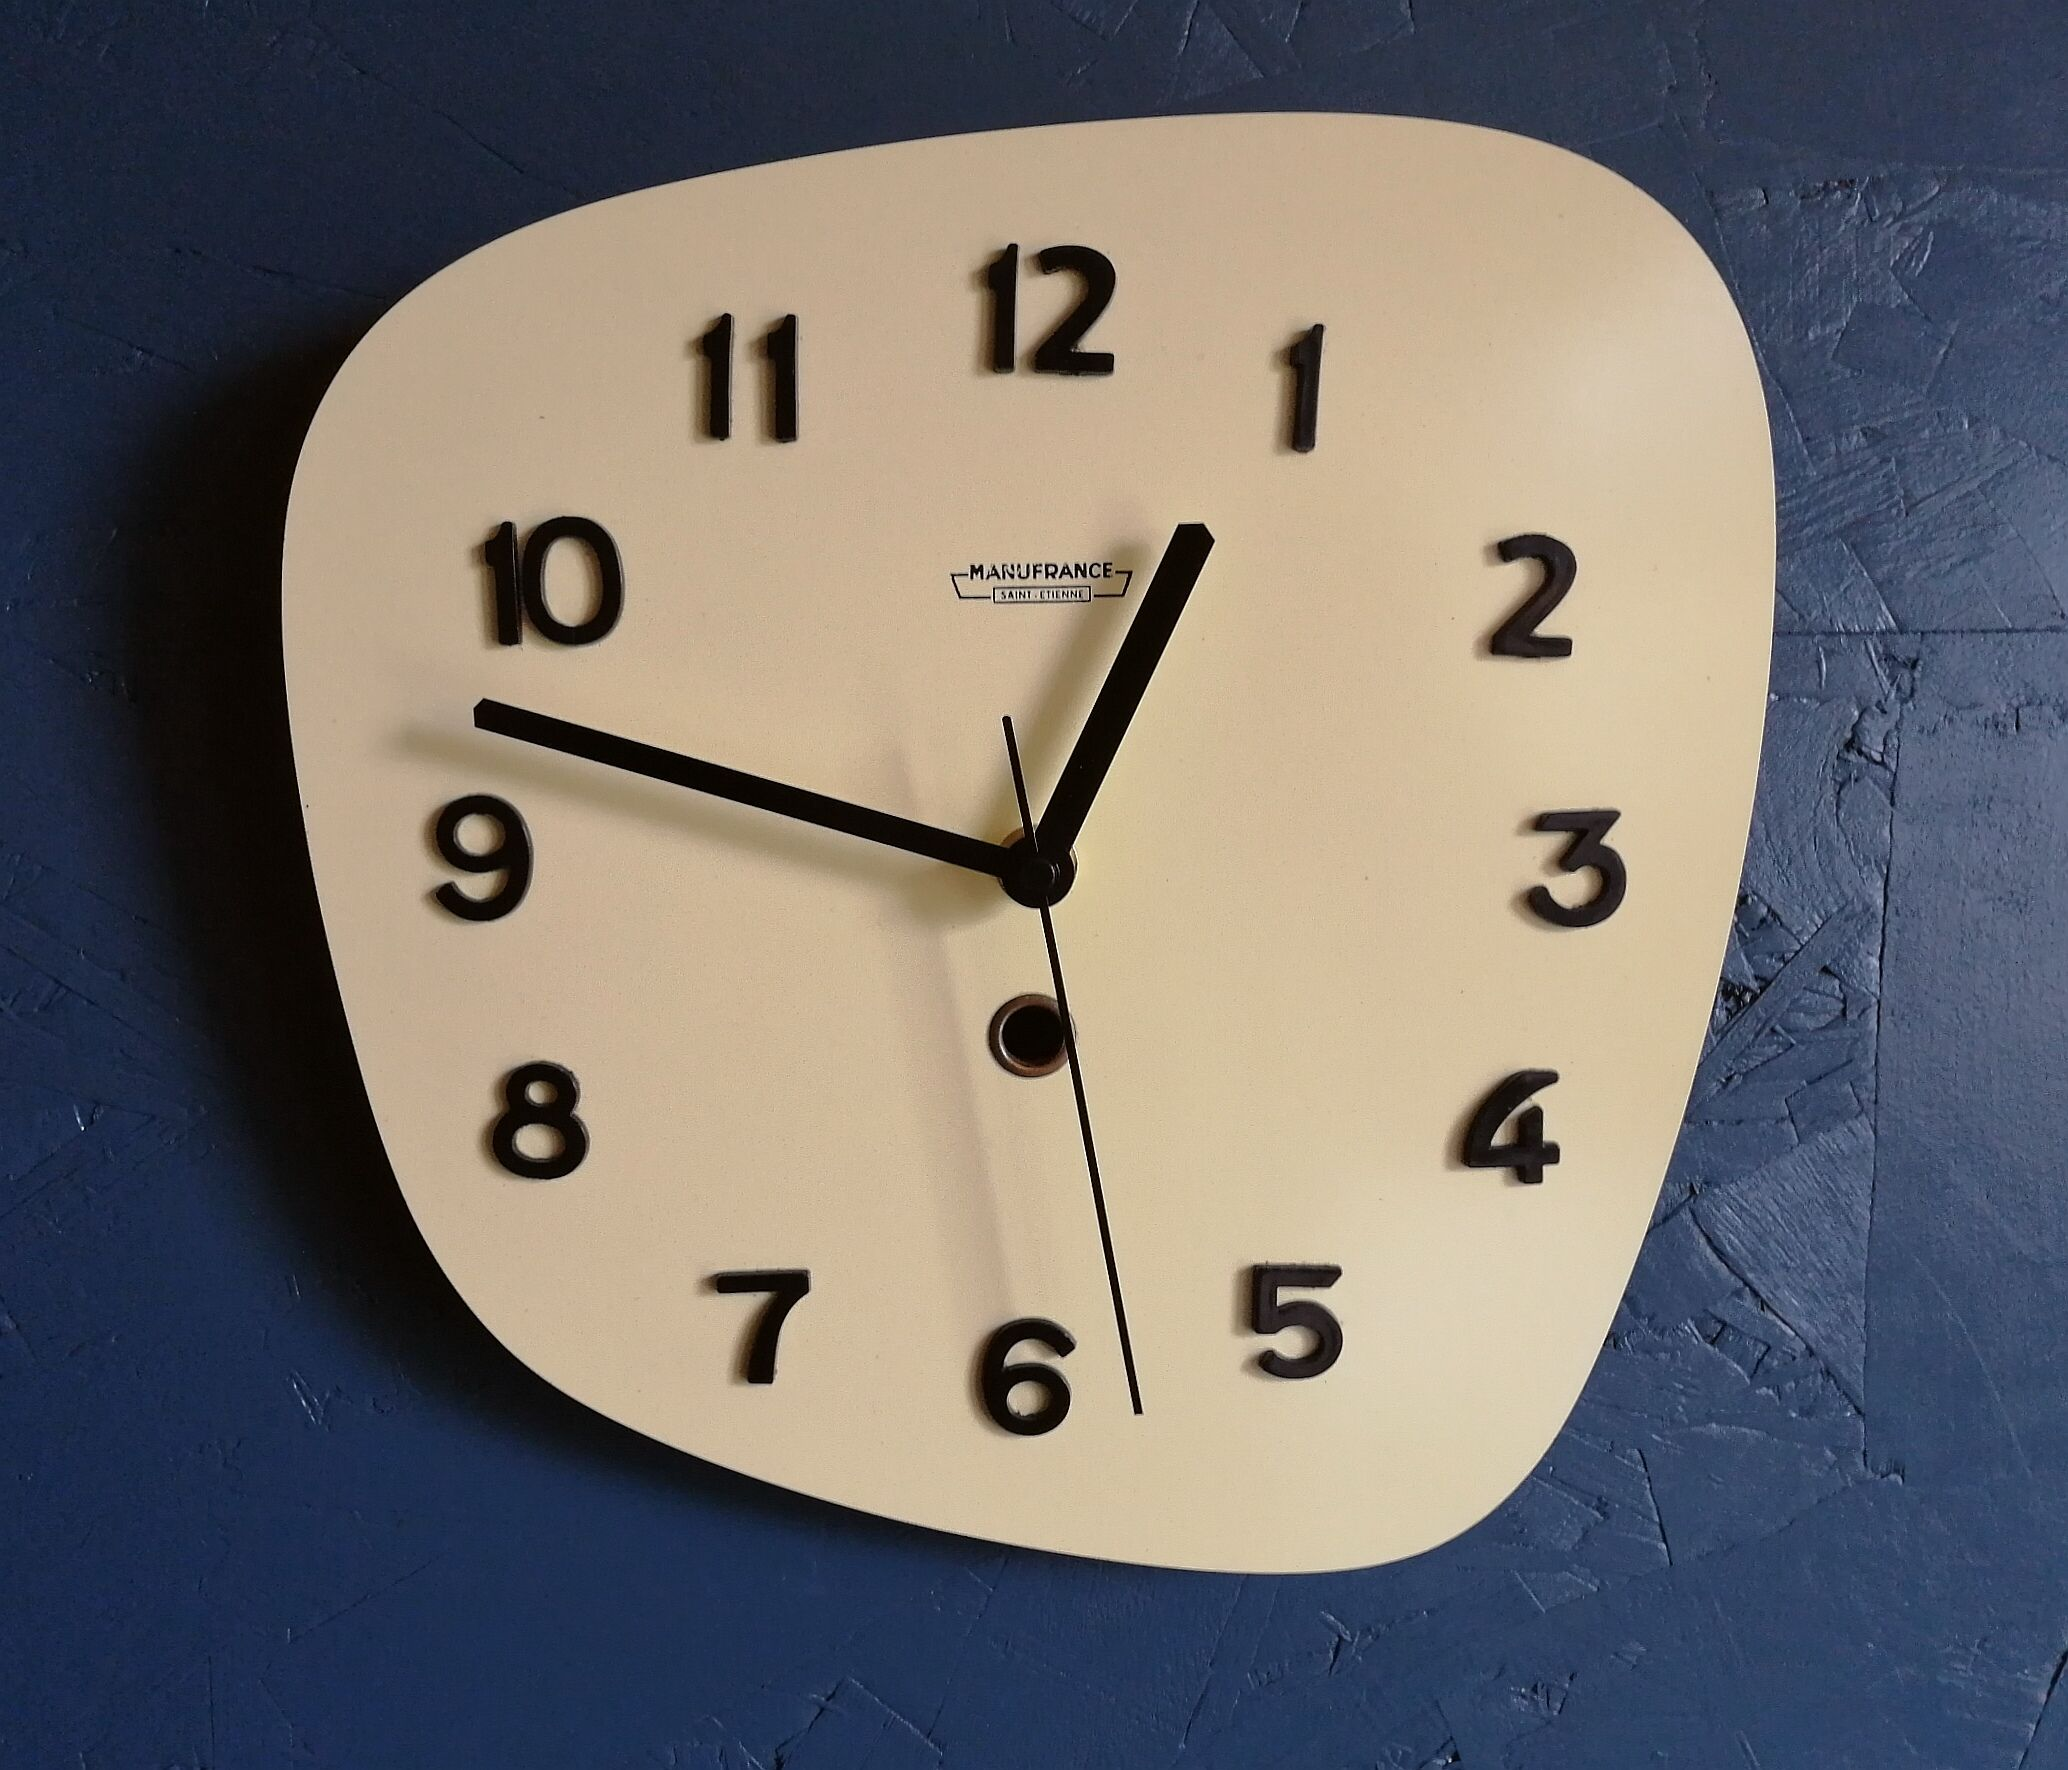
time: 12:47
